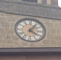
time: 4:06
